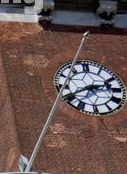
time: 2:40
